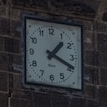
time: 1:18
